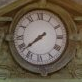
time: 7:38
